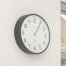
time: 1:05
